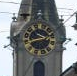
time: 2:42
